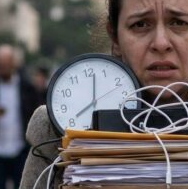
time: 7:01
